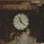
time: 11:21
